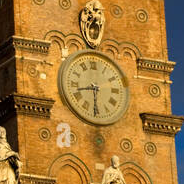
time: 8:30
